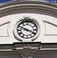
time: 3:48
